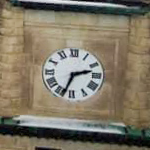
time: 2:33
